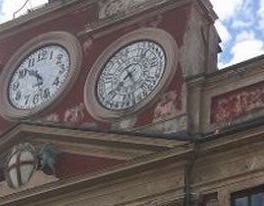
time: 7:24
